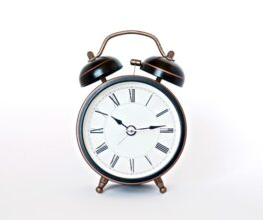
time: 10:13
